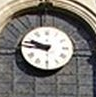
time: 9:45
